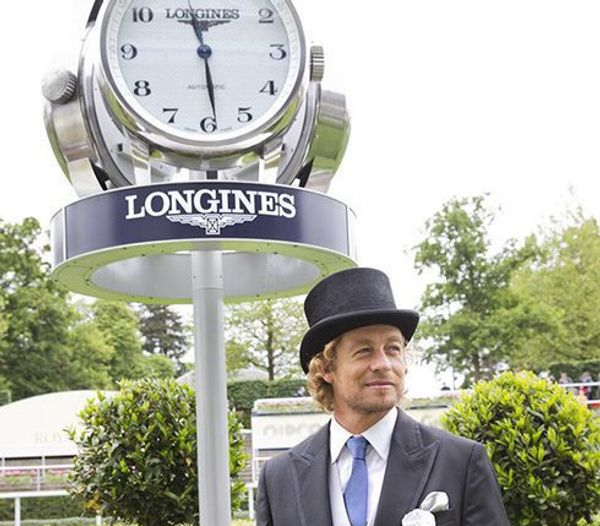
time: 11:28
